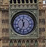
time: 11:33
